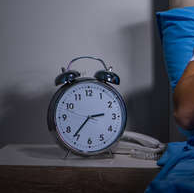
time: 2:36
